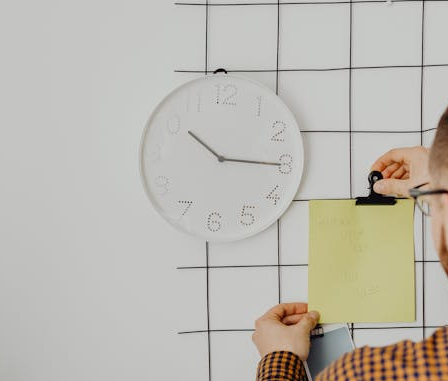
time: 10:15
